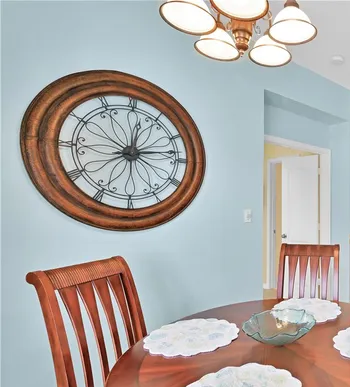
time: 12:13
